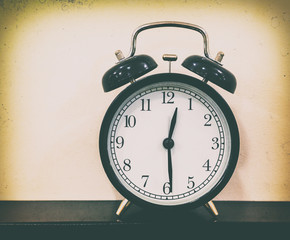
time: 12:29
